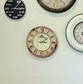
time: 3:09
